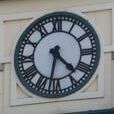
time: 4:32
